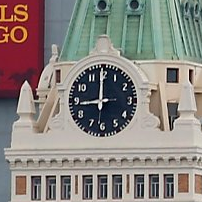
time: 8:59
